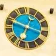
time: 6:48
